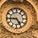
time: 4:44
